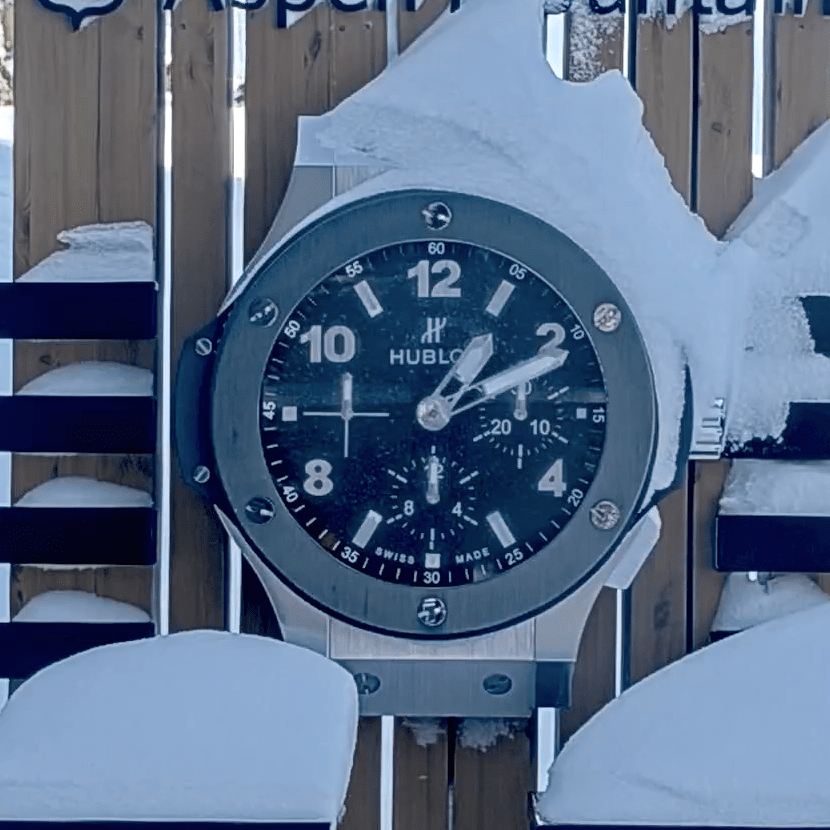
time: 1:10
